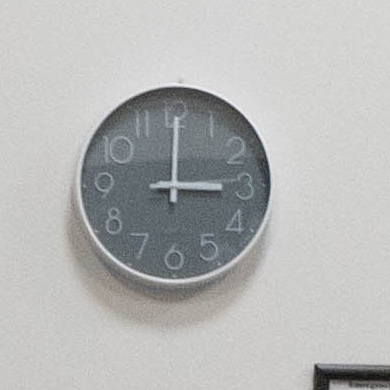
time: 3:00
